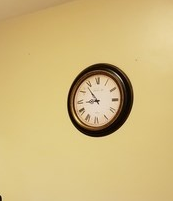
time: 8:53
